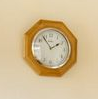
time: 1:54
